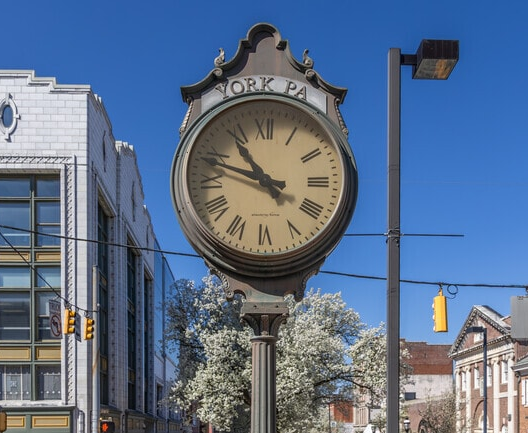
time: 10:48
